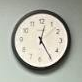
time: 12:24
